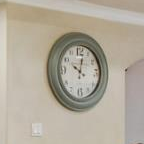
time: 10:02
